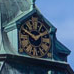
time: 1:50
